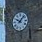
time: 10:07
